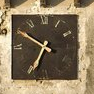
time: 6:50
